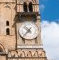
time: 10:37
